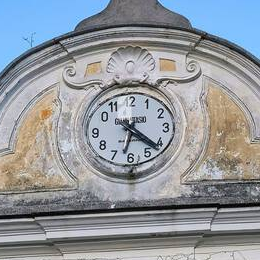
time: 6:21
